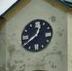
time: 12:38
